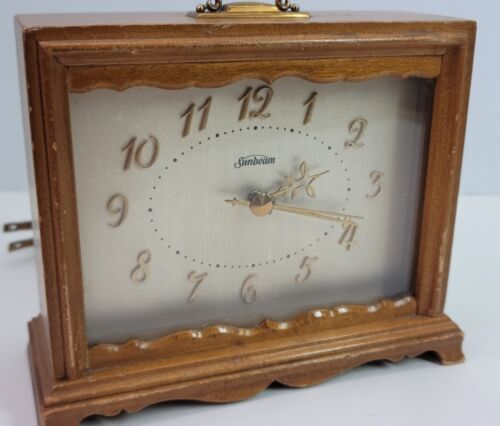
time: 2:18
